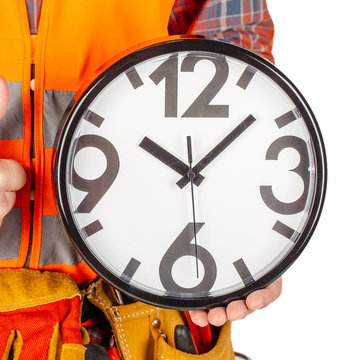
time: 10:07
